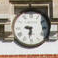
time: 9:31
